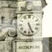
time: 5:26
